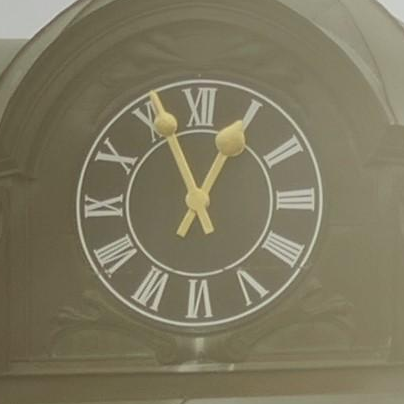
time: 12:56
